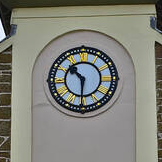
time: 10:30
